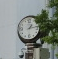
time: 1:13
